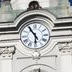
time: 5:54
